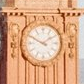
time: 1:49
